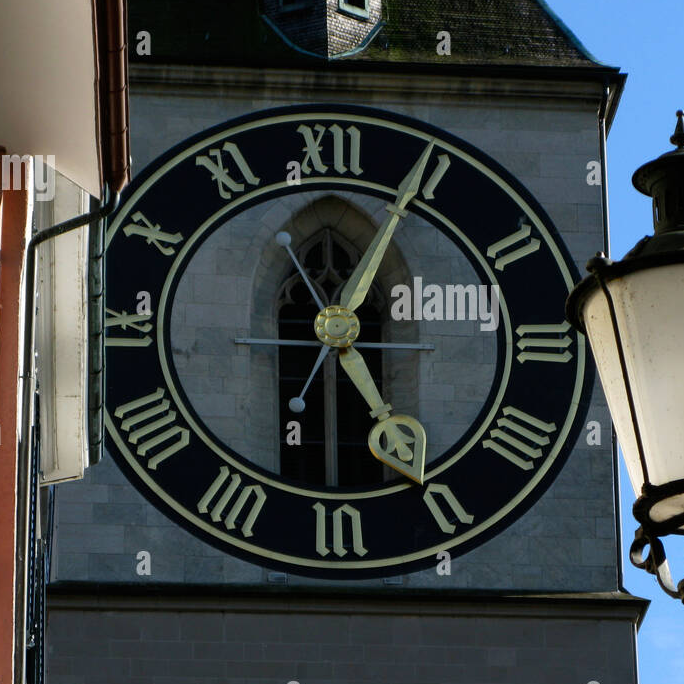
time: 5:04
